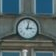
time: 3:02
